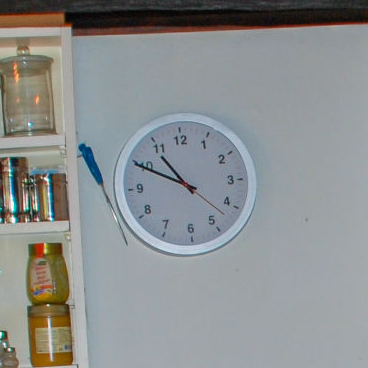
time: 10:49
